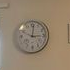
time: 12:14
